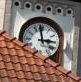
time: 2:58
